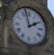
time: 1:57
